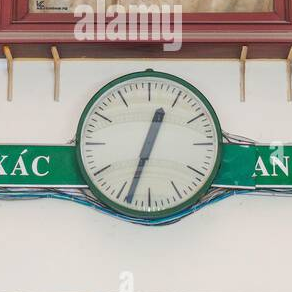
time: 12:33
